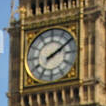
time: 2:09
